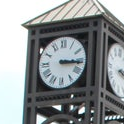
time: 3:16
